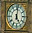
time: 5:01
